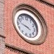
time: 3:47
